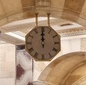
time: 11:59
